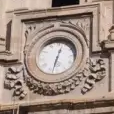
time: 12:32
